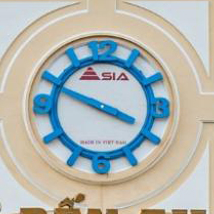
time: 3:49
